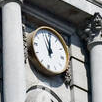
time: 11:56
